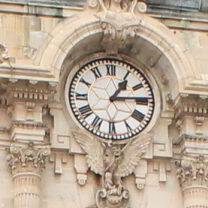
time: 1:13
